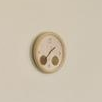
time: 1:37
